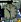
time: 10:28
